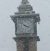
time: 3:51
